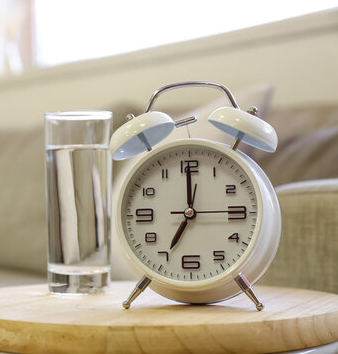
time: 6:59
